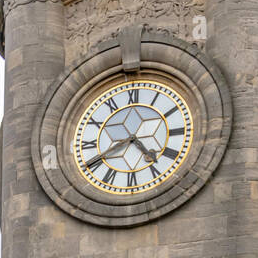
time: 4:40
